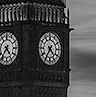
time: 4:35
